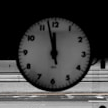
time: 11:57
